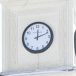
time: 12:11
